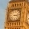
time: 3:13
